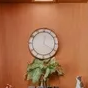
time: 12:20
